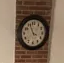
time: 3:55
